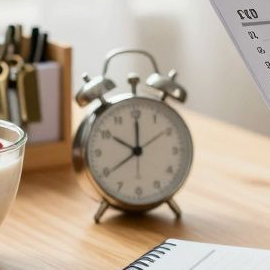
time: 10:00
